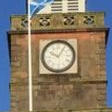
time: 10:05
